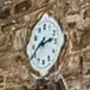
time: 2:40
